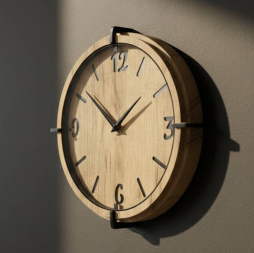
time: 1:51
